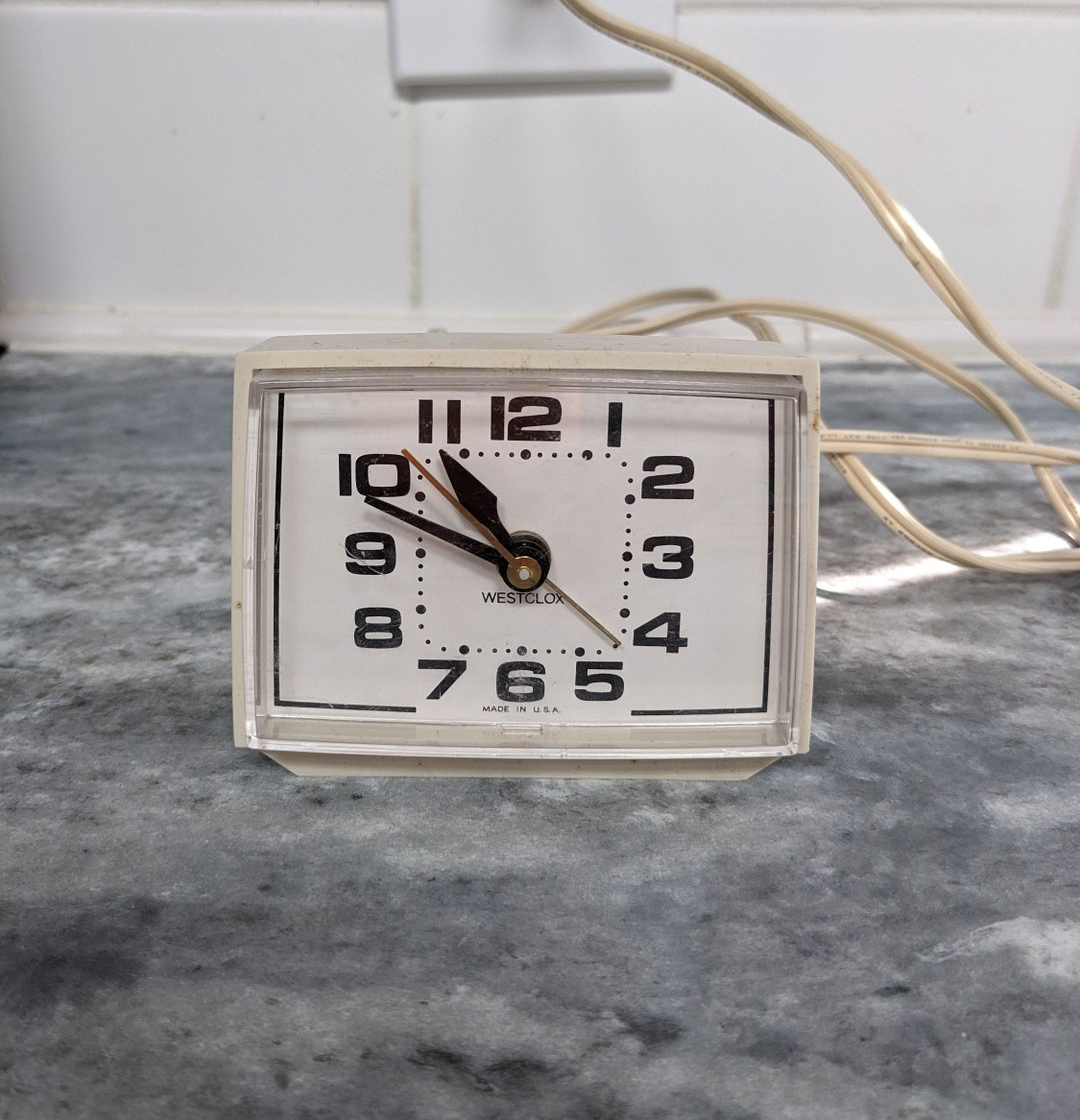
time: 10:49
